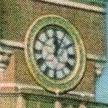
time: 12:05
